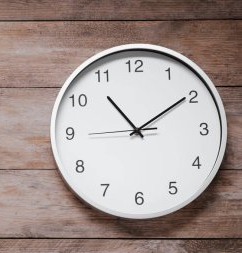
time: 1:53
